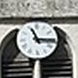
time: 11:15
